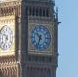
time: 10:33
